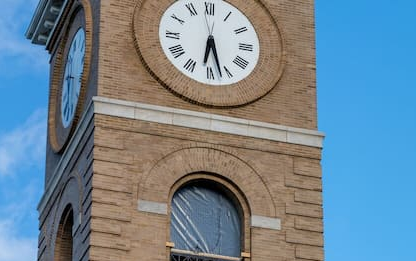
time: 6:27
